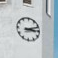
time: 3:11
